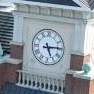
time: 5:14
